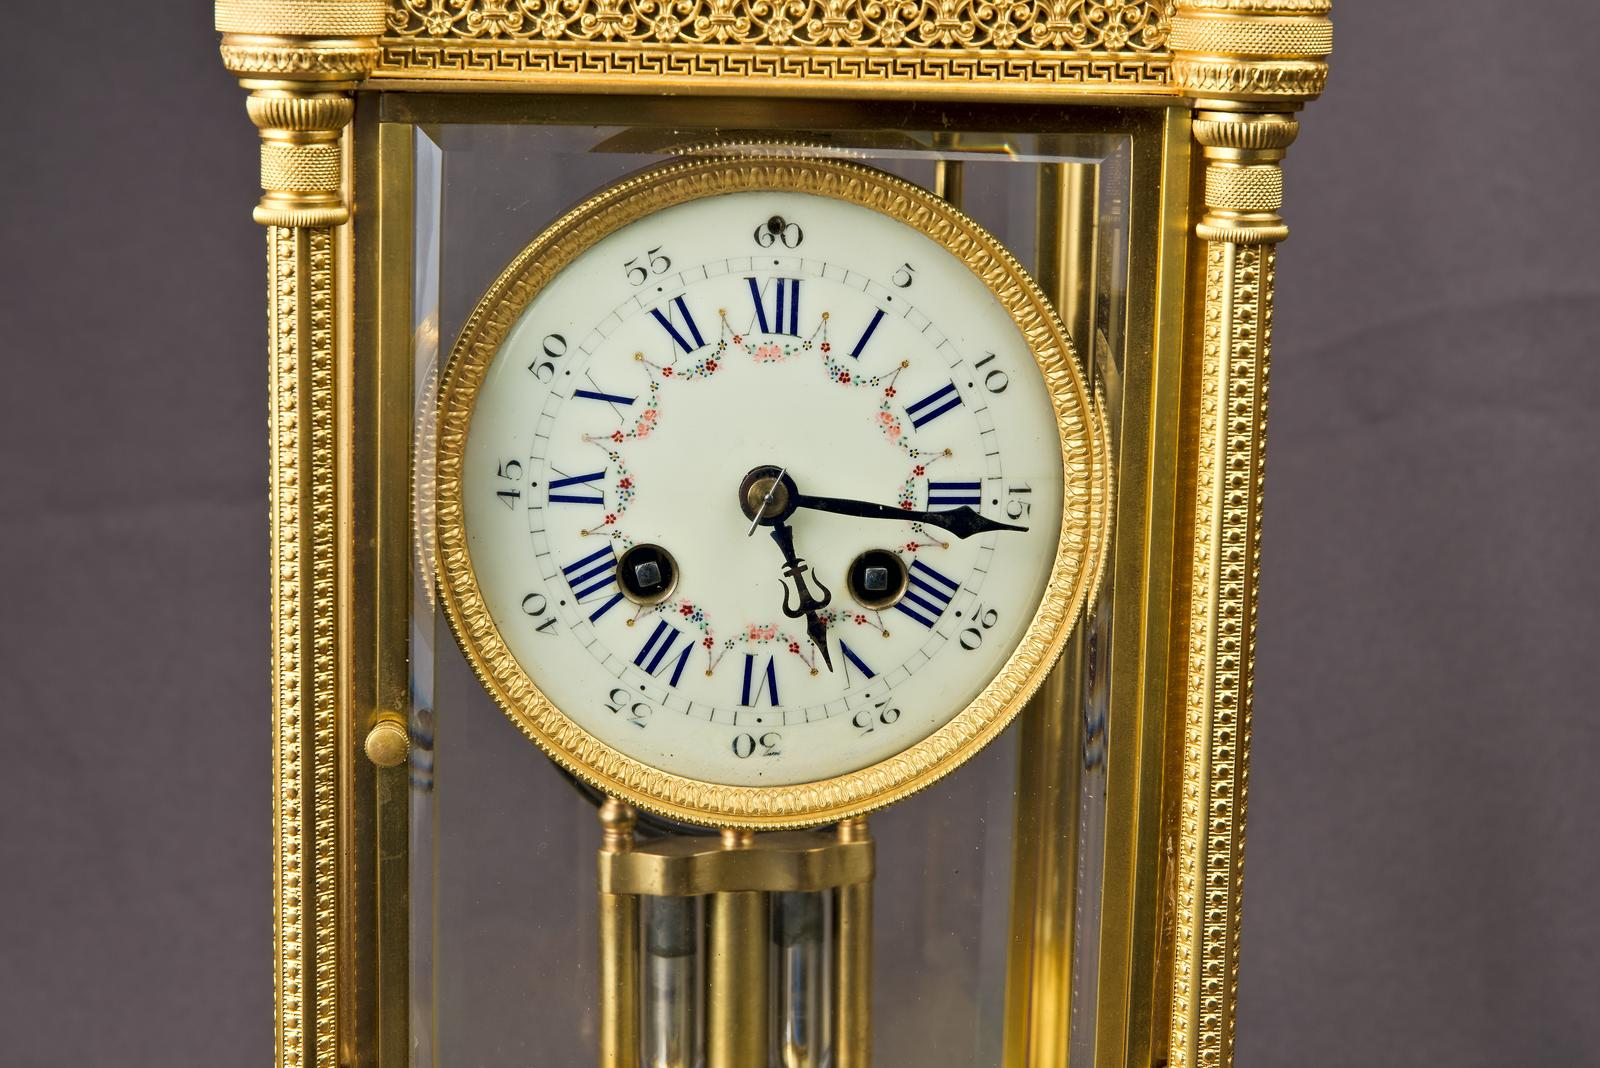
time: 5:15
